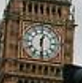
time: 12:28
